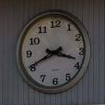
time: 3:40
